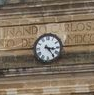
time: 3:23
